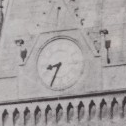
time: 8:34
